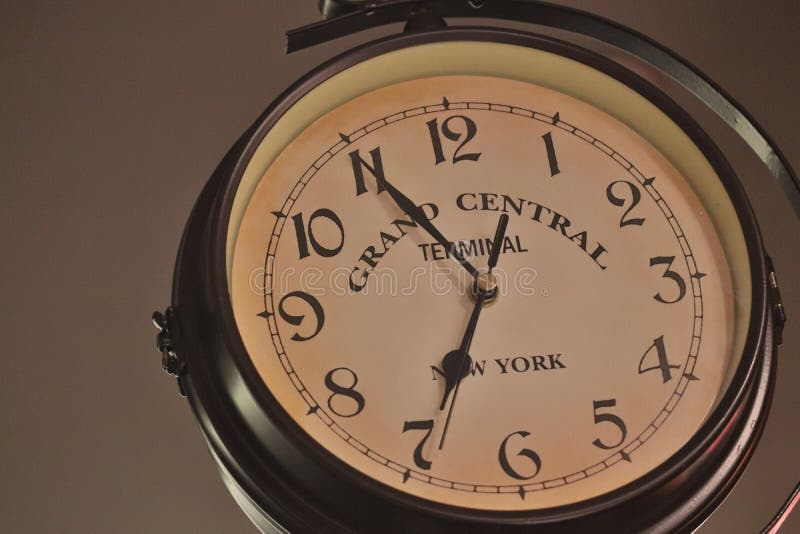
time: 6:54
